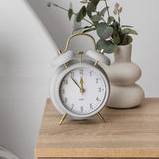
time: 11:53
